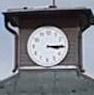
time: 3:15
